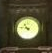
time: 10:46
